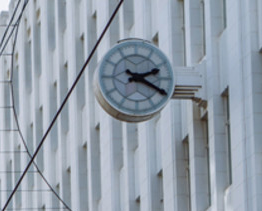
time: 2:19
